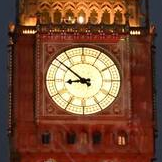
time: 8:51
